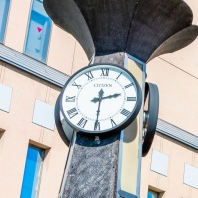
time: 2:30
